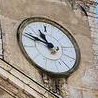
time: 10:47
